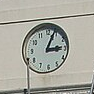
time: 3:03
